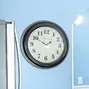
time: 1:50
